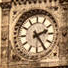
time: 2:24
